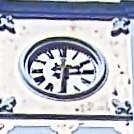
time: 2:29
